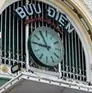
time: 10:45
